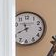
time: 11:40
